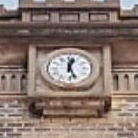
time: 12:26
